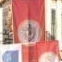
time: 5:59
